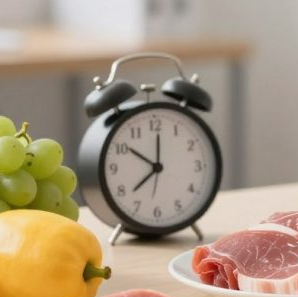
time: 7:51
